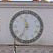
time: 11:34
